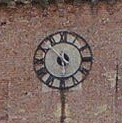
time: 5:52
